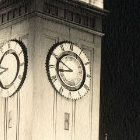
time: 8:49
